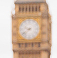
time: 9:38
